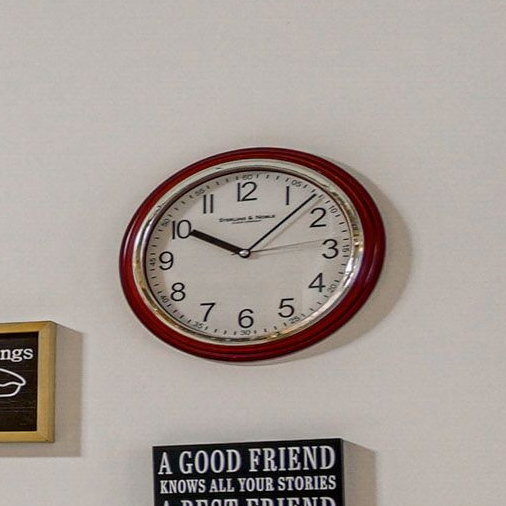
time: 10:07
